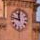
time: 11:46
